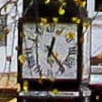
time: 12:23
